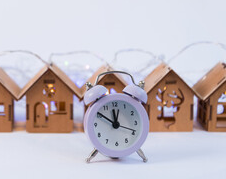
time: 11:50
